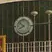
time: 7:52
